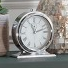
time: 11:12
